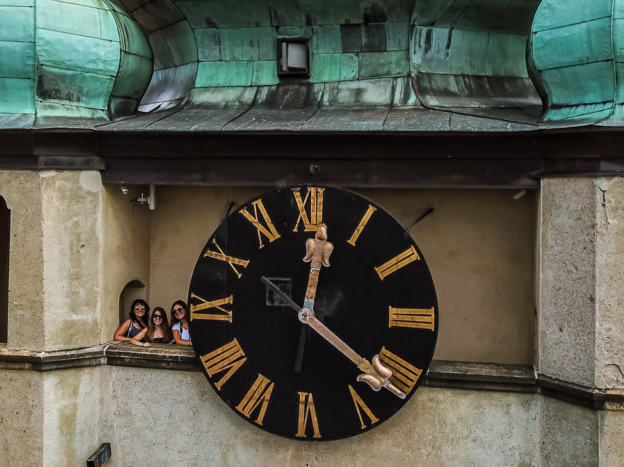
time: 12:21
